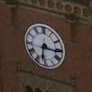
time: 6:15
